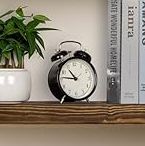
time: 10:45
